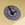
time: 1:56
